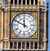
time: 11:49
